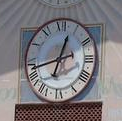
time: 12:42
